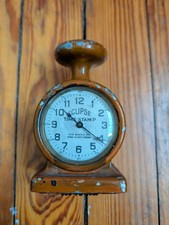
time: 10:21
